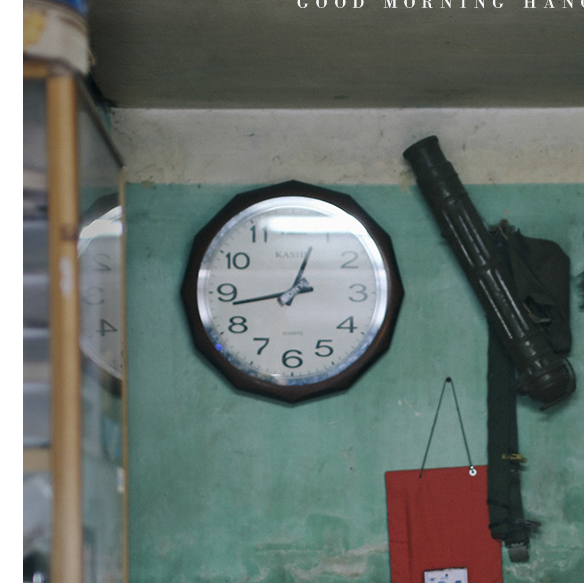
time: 12:43
